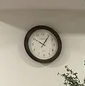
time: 10:06
